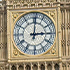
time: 3:01
